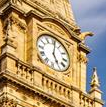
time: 5:01
